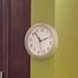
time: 1:52
